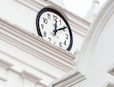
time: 12:09
